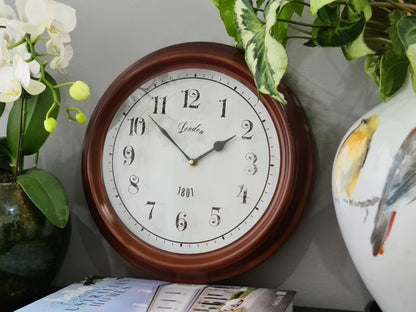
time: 1:52
